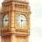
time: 6:13
